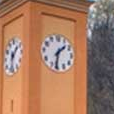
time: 1:32
